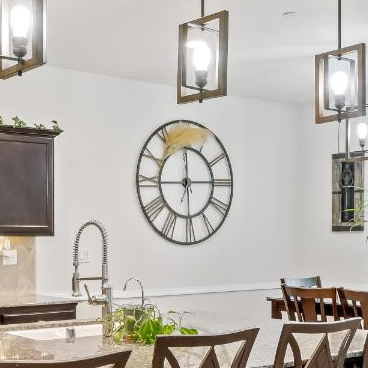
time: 12:14
